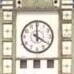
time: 3:59
